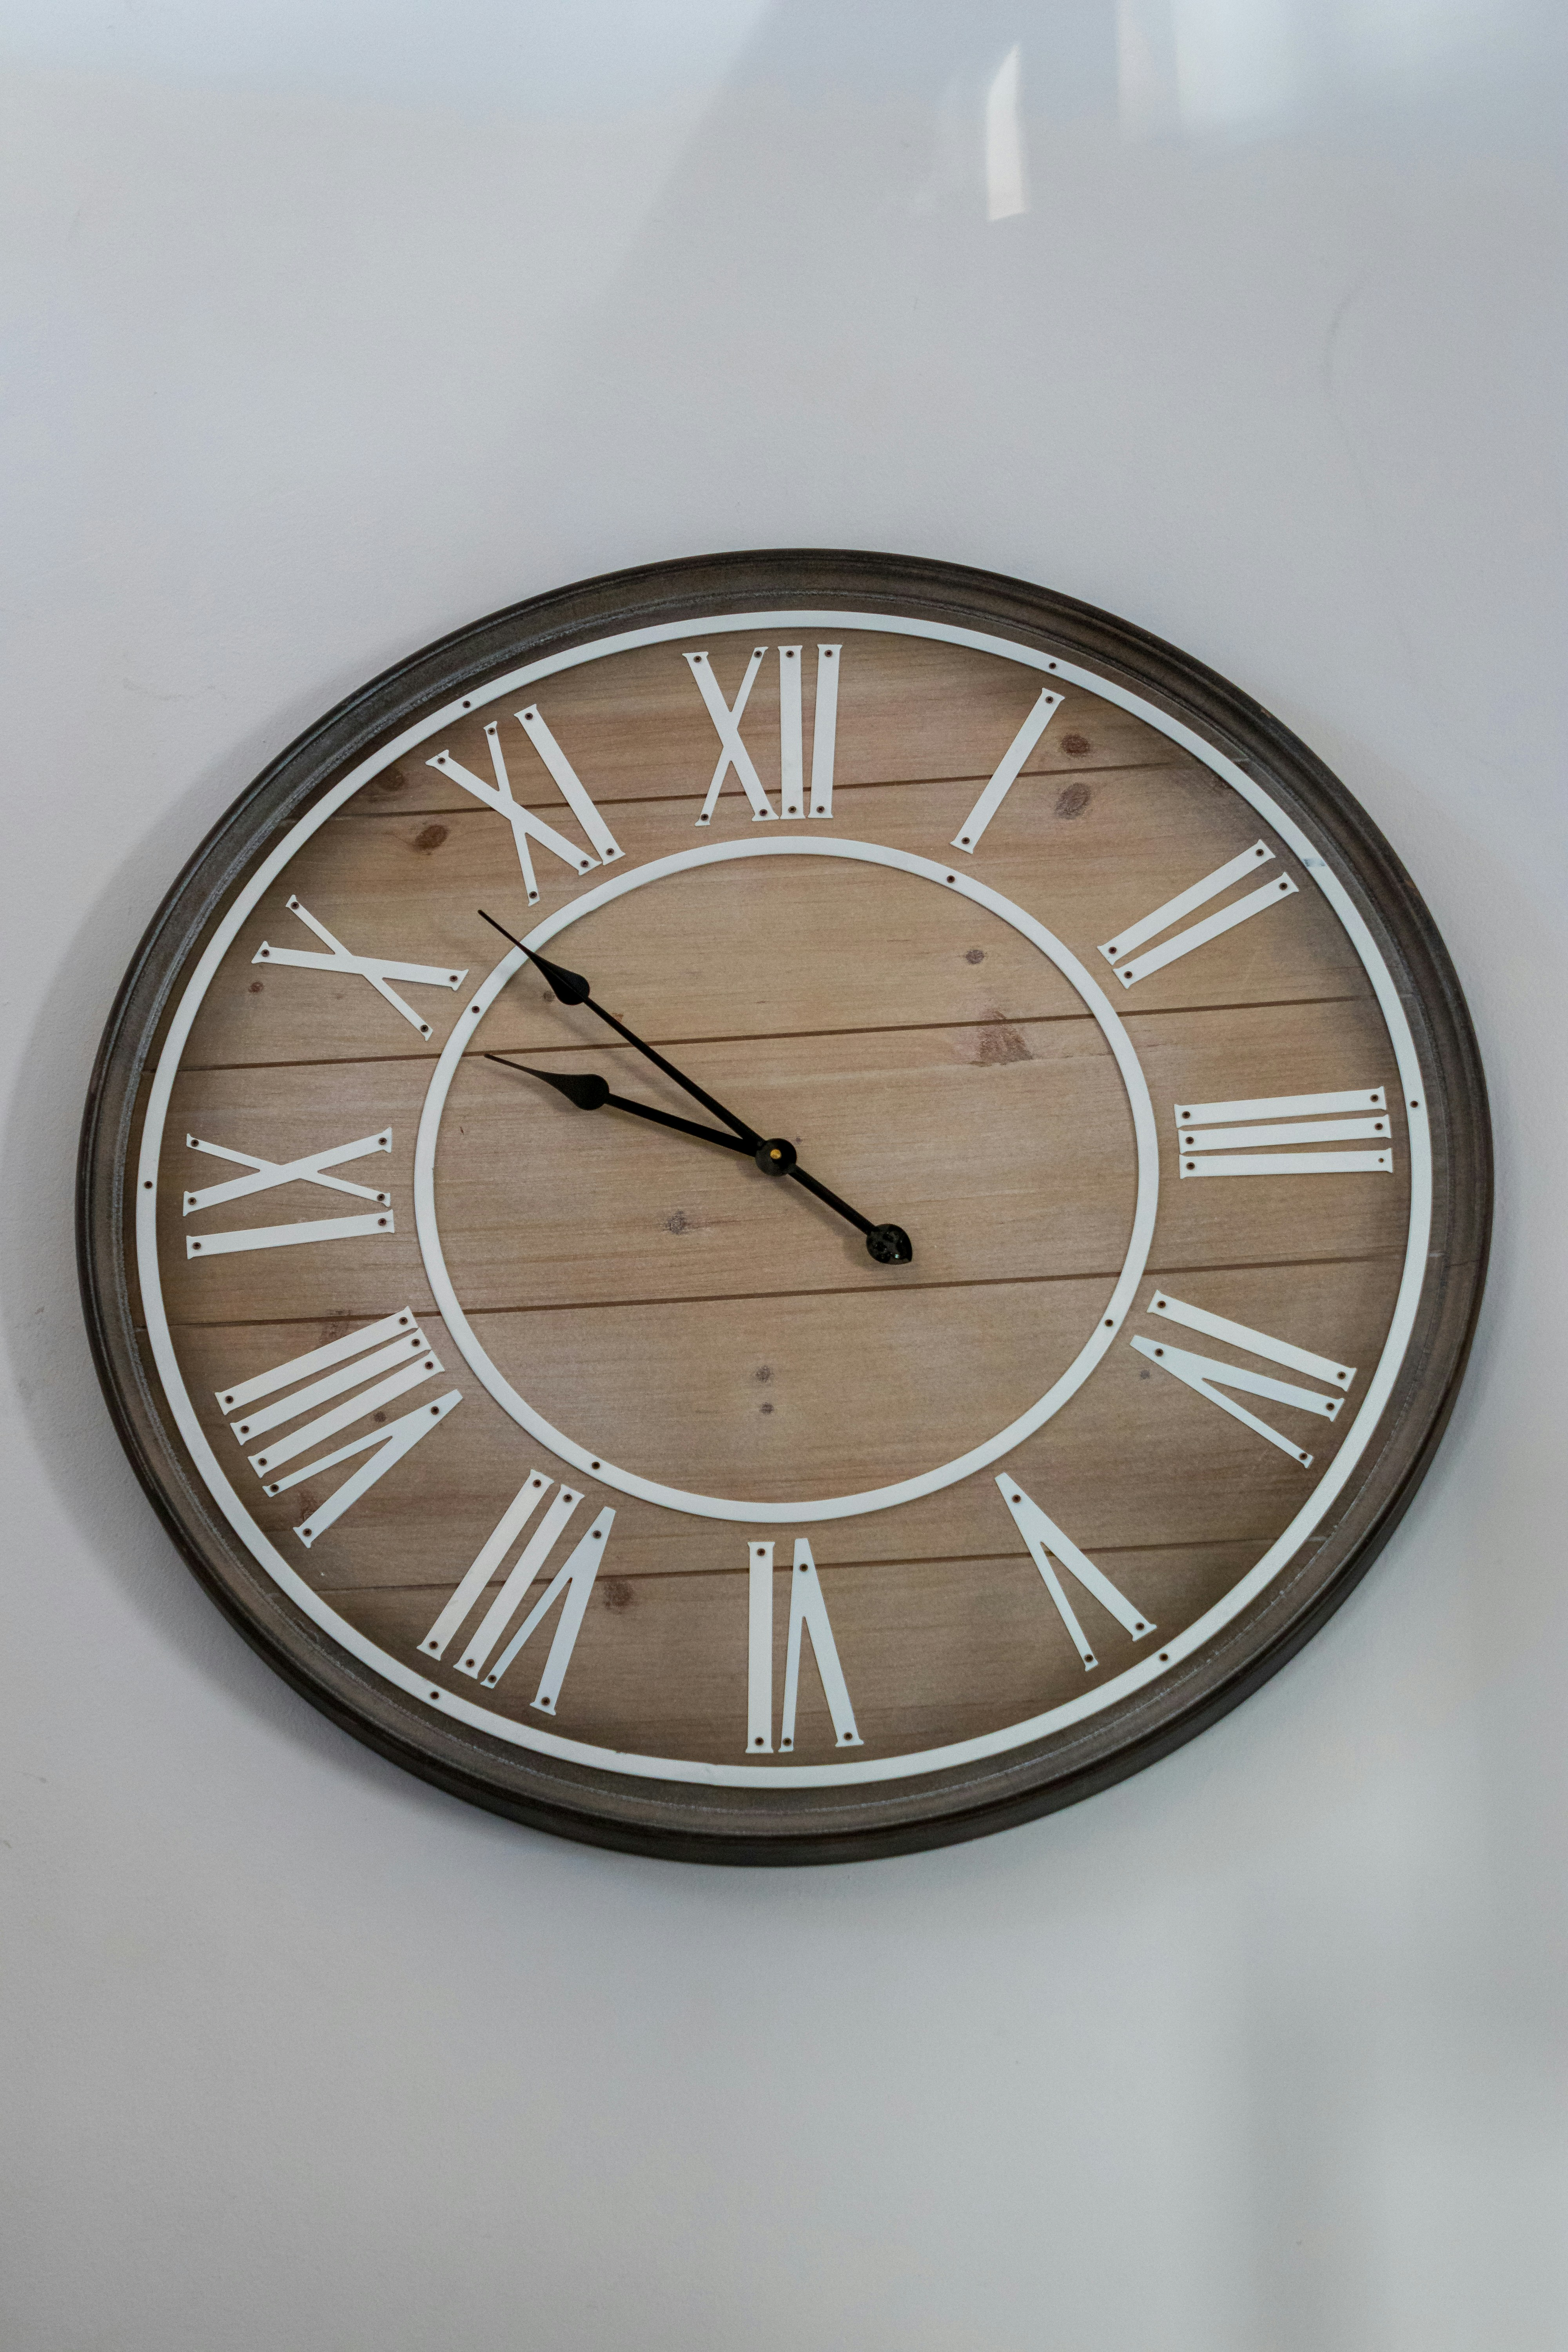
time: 9:52
